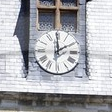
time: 1:59
